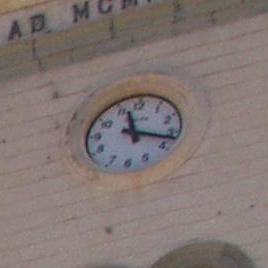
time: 11:17
